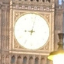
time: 9:02
